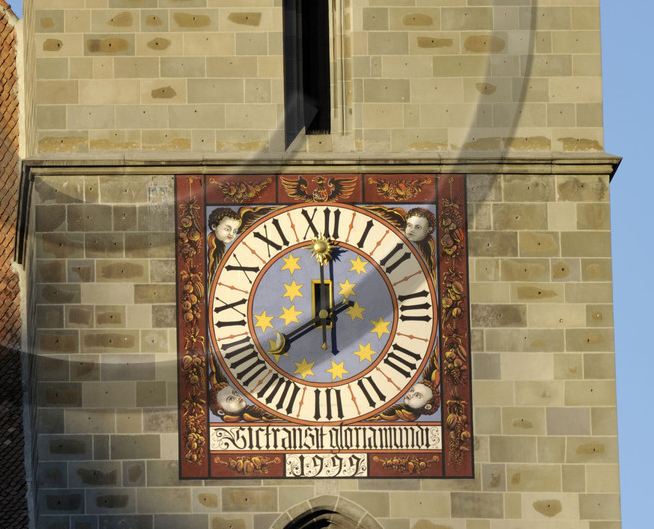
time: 8:01
